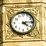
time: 4:14
